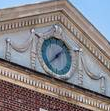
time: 1:38
